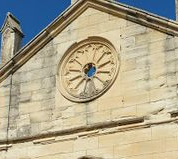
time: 7:15
